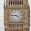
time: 3:46
